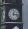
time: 12:16
